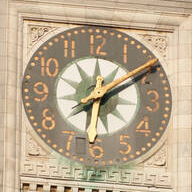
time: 12:09
